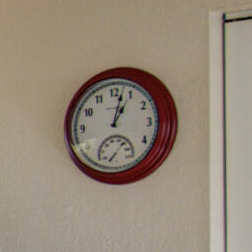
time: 1:02
